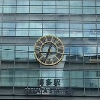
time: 12:33
